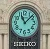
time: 11:07
